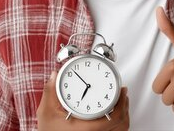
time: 6:52
